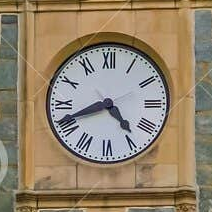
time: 4:41
